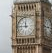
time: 11:45
